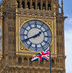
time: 1:41
